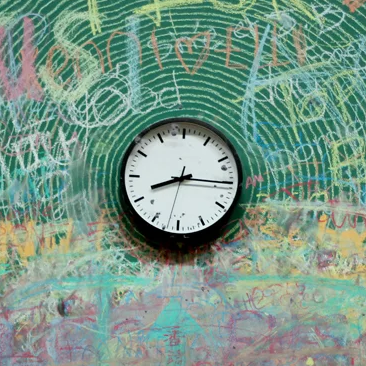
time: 8:15
